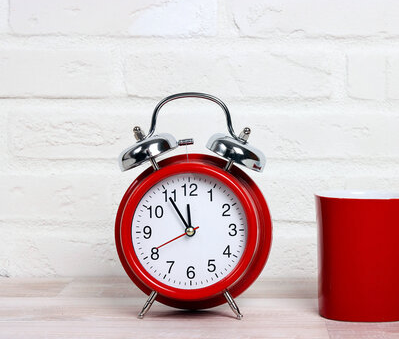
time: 11:54
